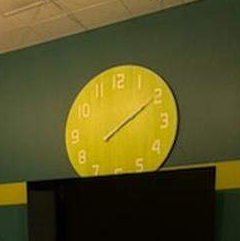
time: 2:09
